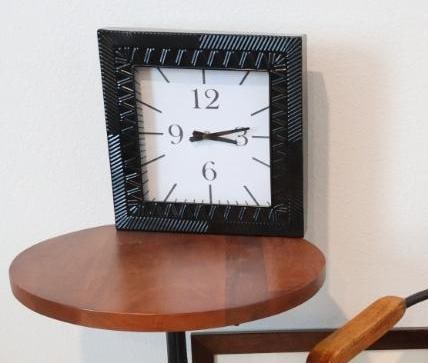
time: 3:13
